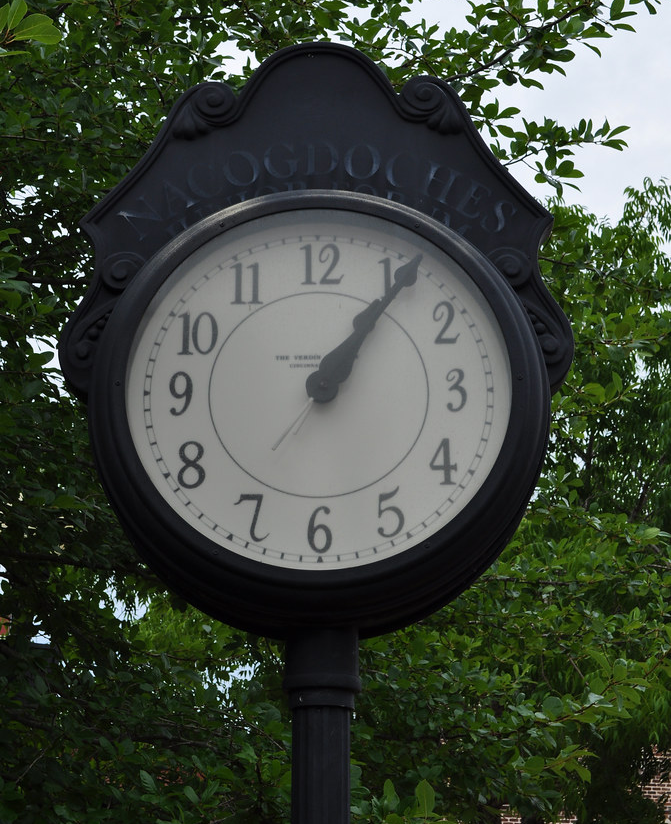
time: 1:06
